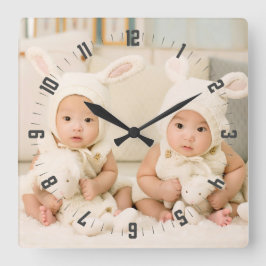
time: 10:10
